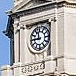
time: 11:45
